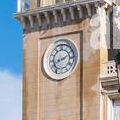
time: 8:11
